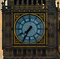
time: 7:35
